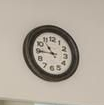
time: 10:45
